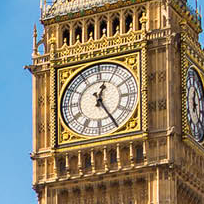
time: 12:24
